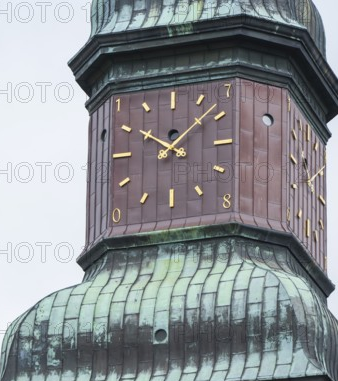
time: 10:07
